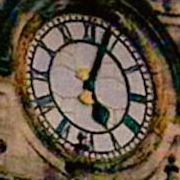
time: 5:03
